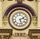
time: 2:27
